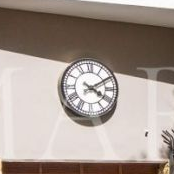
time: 4:09
